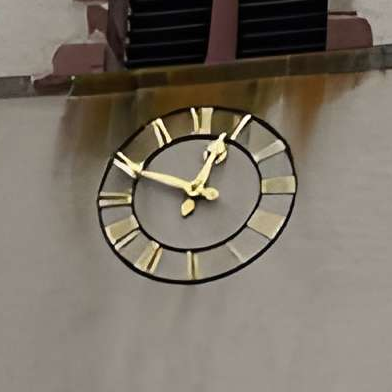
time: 12:49
